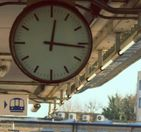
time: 12:16
